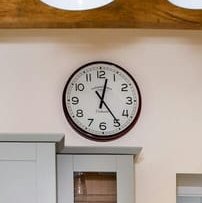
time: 12:24
